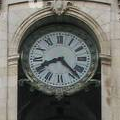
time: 8:22
